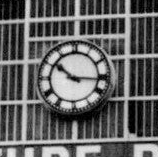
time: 10:15
